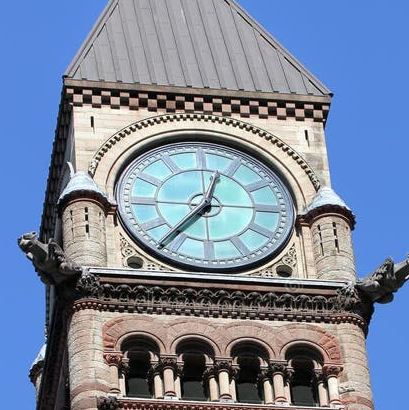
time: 12:36
